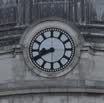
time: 8:40
